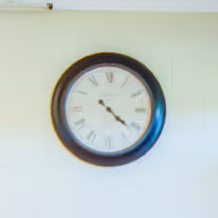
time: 4:21
